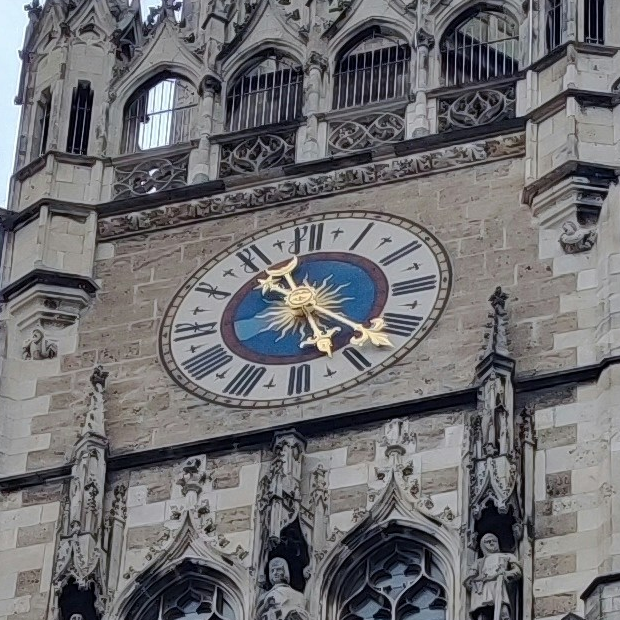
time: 5:22
